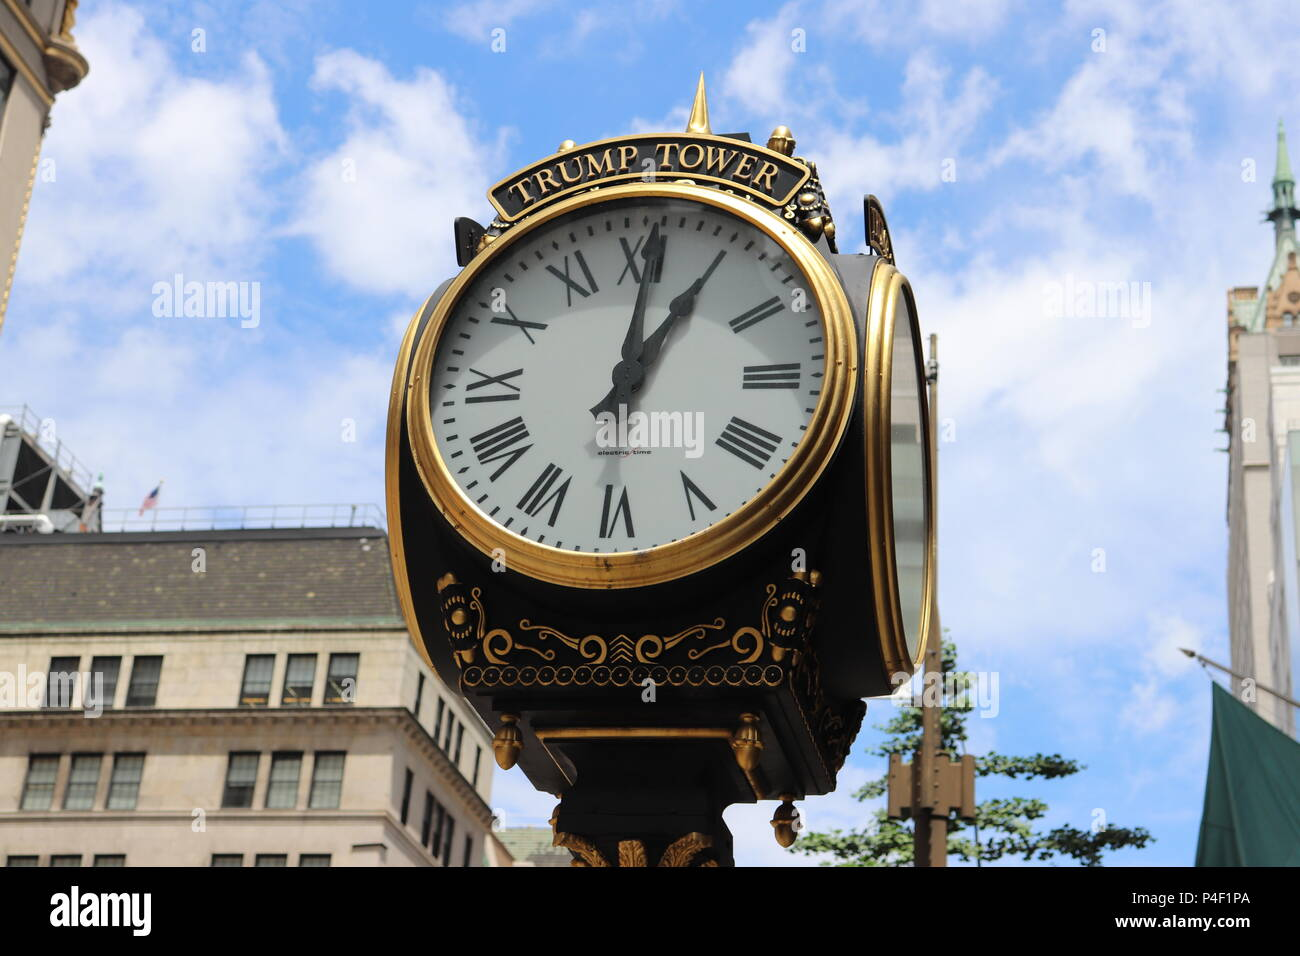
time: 1:01
